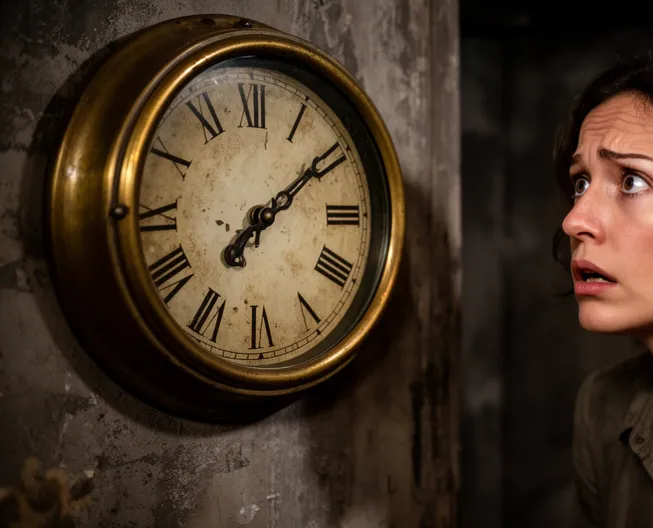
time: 7:09
